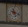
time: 5:18
